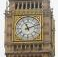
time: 11:11
